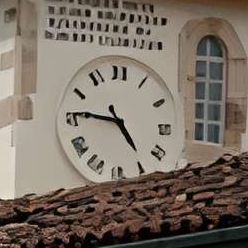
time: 4:46
